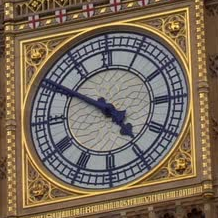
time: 4:50
